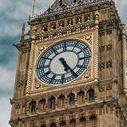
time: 5:24
